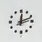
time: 12:11
